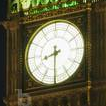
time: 8:30
